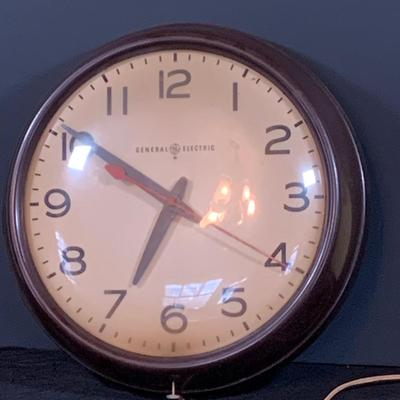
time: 6:50
